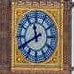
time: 11:40
